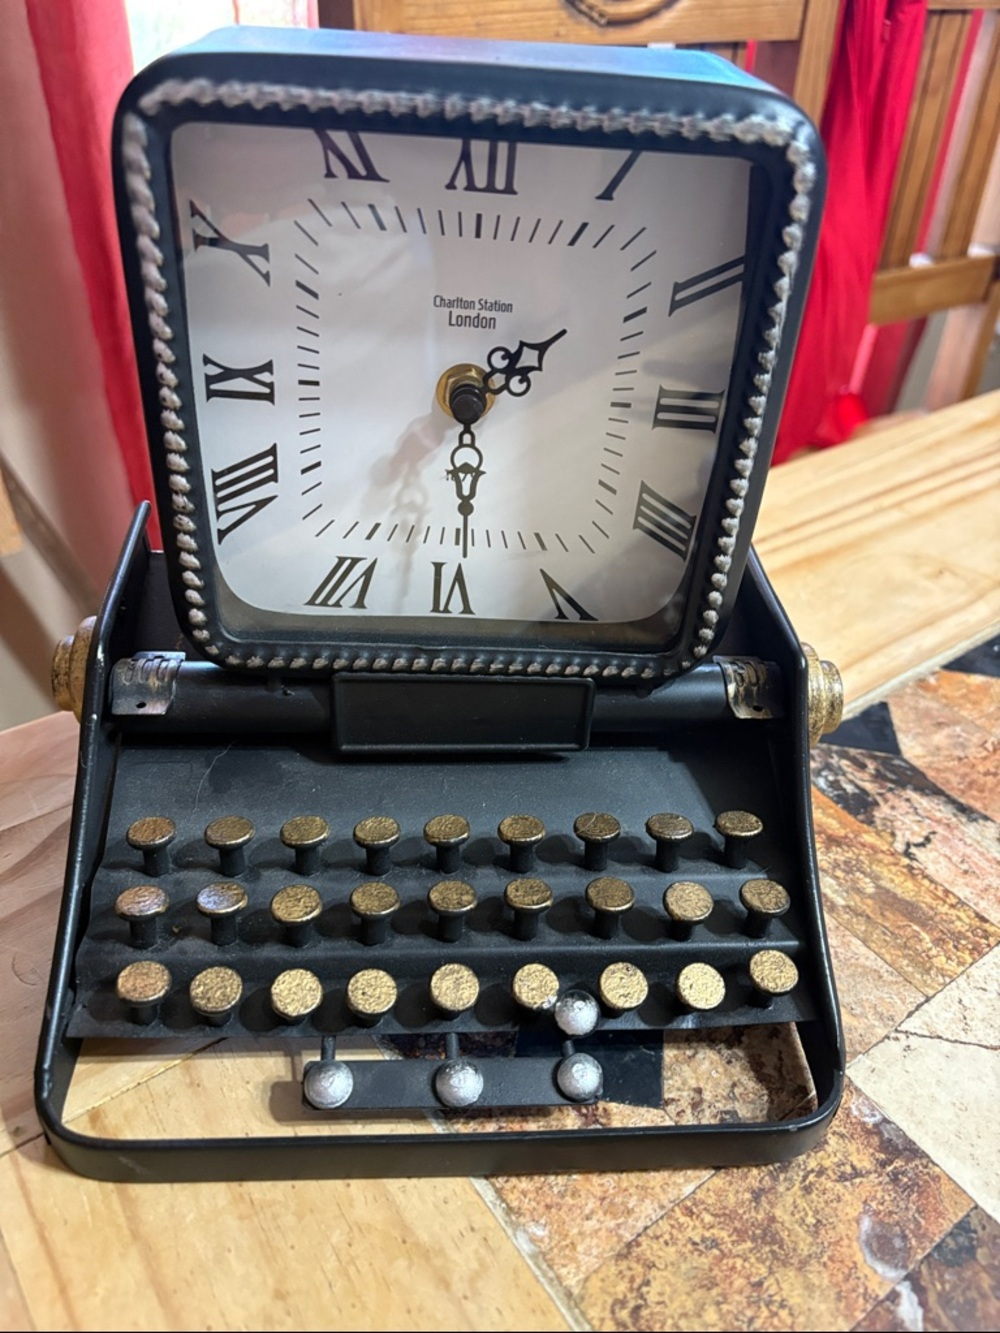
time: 1:28
